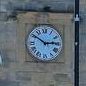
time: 2:50
